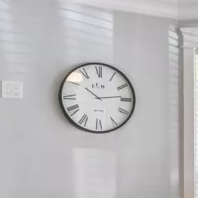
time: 10:13
